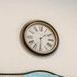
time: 1:30
